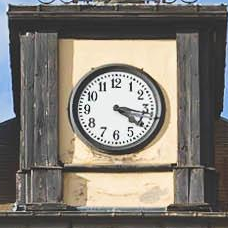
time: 4:16
